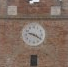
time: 9:20
